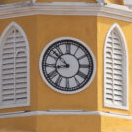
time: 8:52
